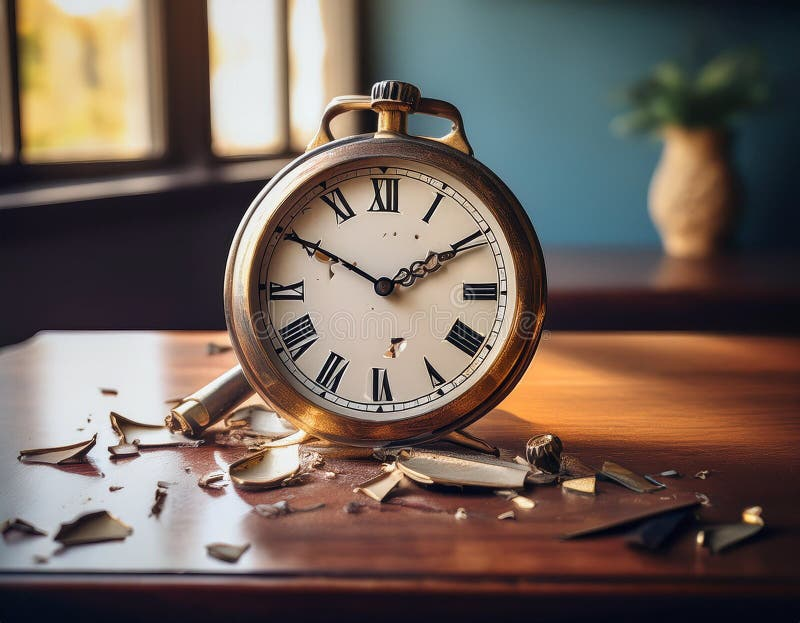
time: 1:50
